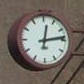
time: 12:13
